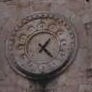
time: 1:22
